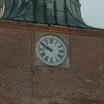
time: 9:50
